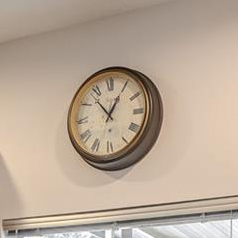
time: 12:53
